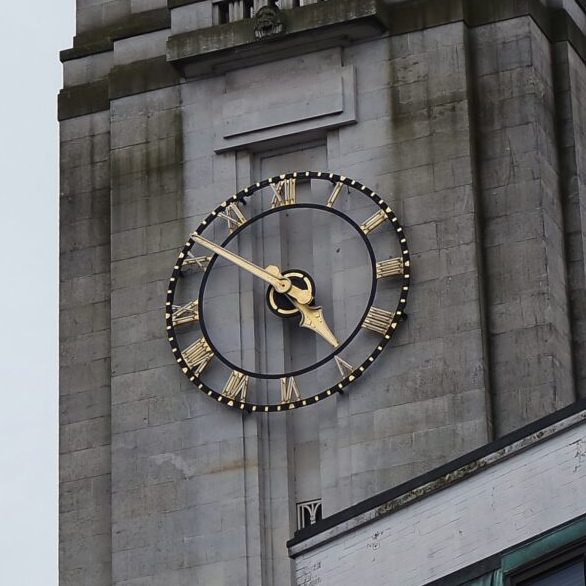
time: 4:50
